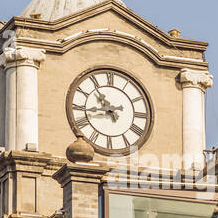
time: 10:43
